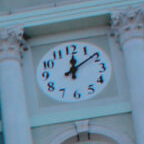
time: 12:09
